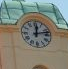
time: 12:12
